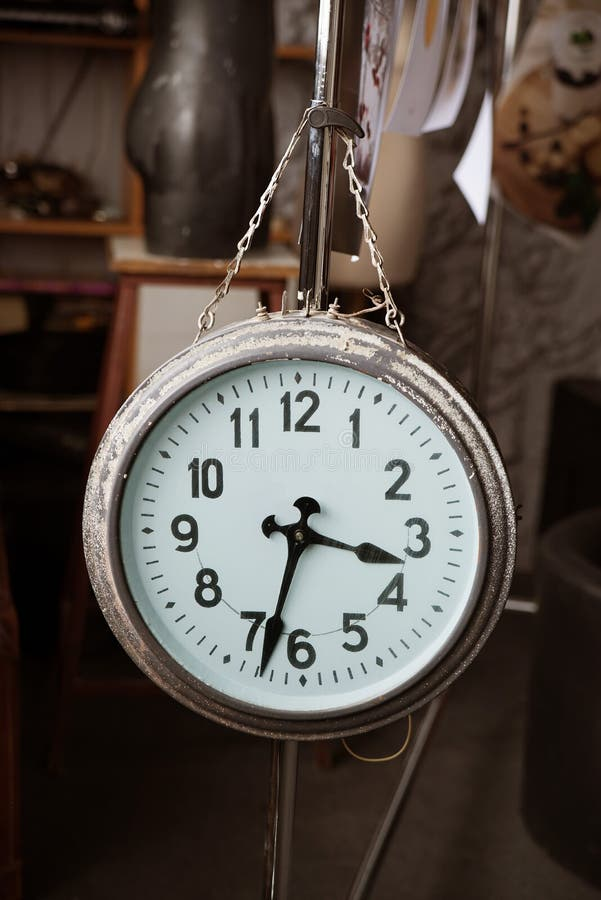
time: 3:32
